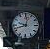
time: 9:42
